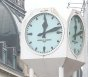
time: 12:12
